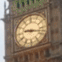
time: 9:17
